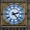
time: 2:23
